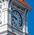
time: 9:48
